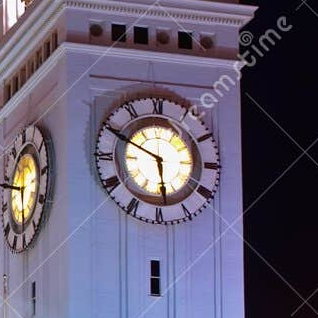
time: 5:49
